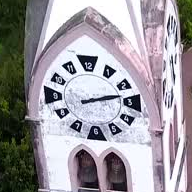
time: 2:12
